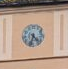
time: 4:33
